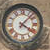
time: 4:07
